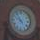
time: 9:53
